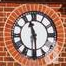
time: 11:29
